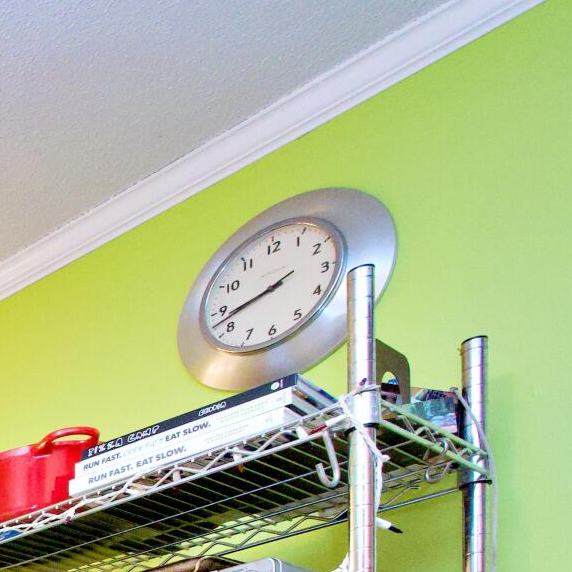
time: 8:42
